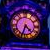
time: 4:34
